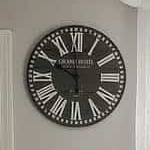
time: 9:59
